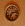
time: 7:12
